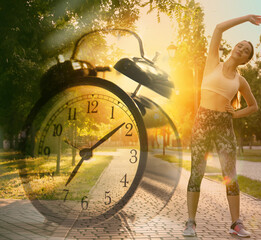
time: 7:09
